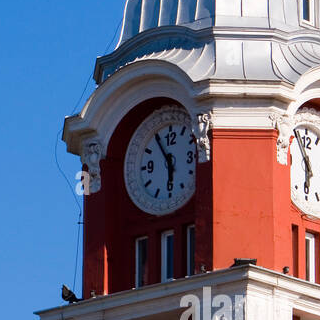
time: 5:54
